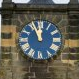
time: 11:56
